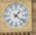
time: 1:21
